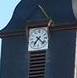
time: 7:22
